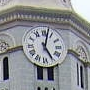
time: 5:02
